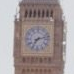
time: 7:12
